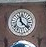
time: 11:21
